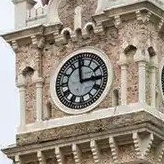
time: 2:58
